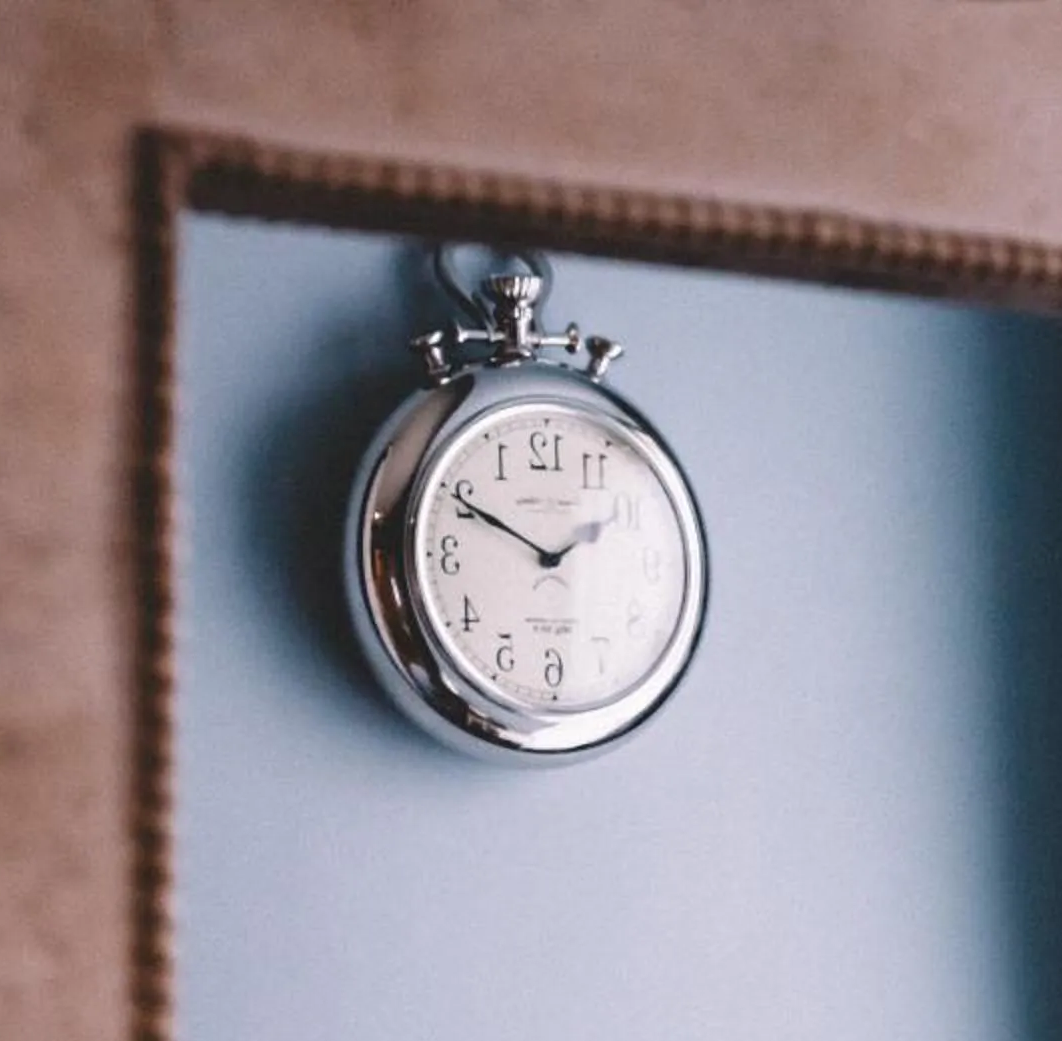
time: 1:50
